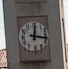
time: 12:16
